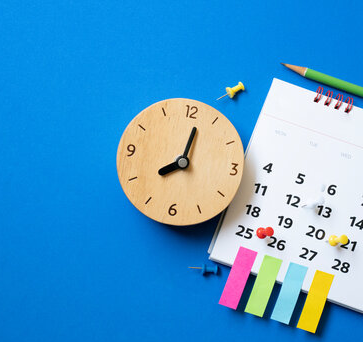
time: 8:02
